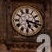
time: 5:17
